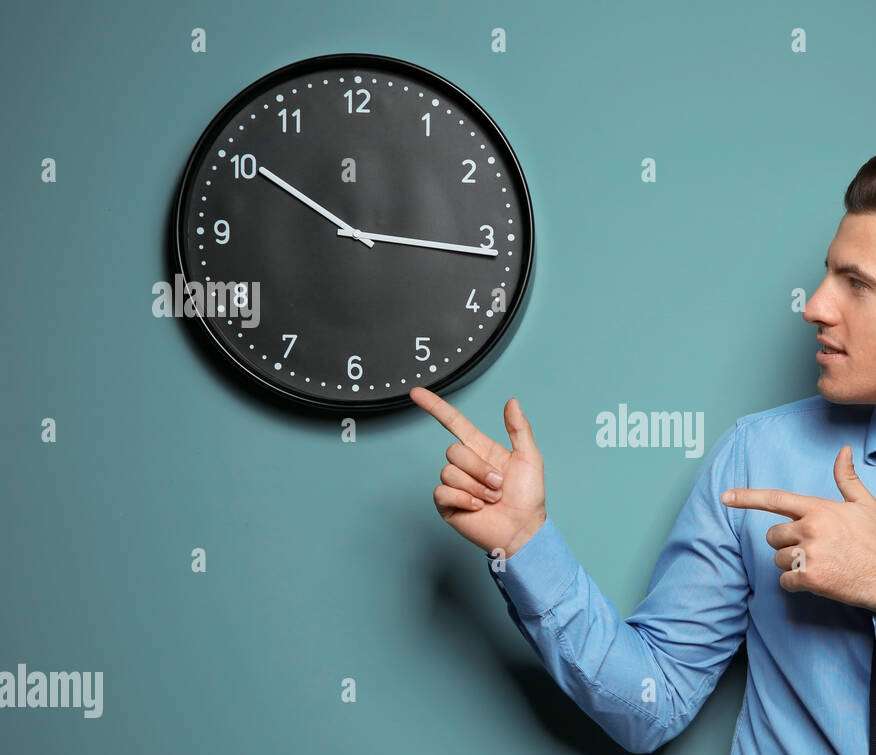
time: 10:16
